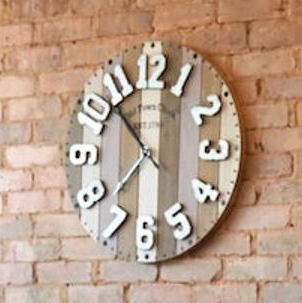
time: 11:52
